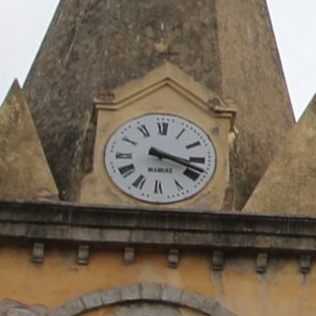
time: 3:18
